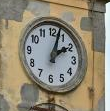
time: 2:02
